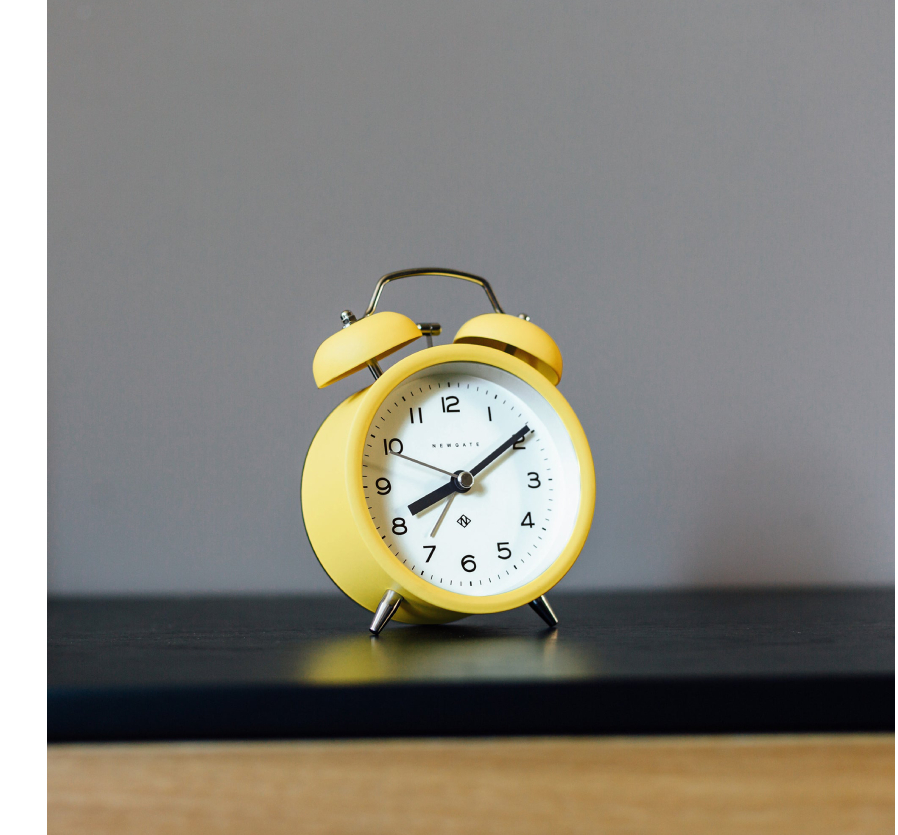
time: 8:09
